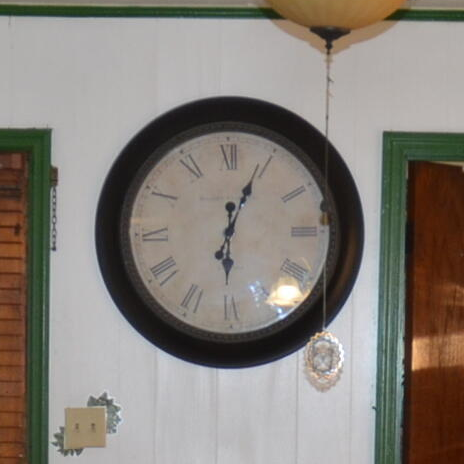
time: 6:03
